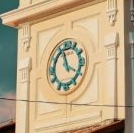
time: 11:19
